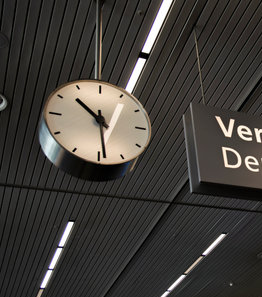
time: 10:28
